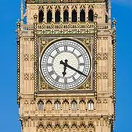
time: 6:19
